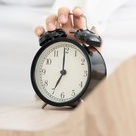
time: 7:00
